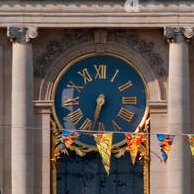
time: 6:32
